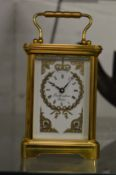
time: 10:07
